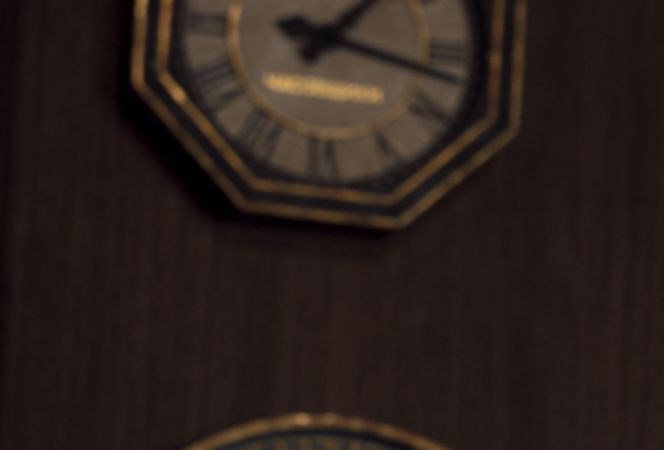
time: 1:17
